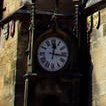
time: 12:16
